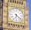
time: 6:21
